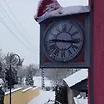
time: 9:16
